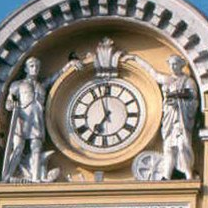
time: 6:57
